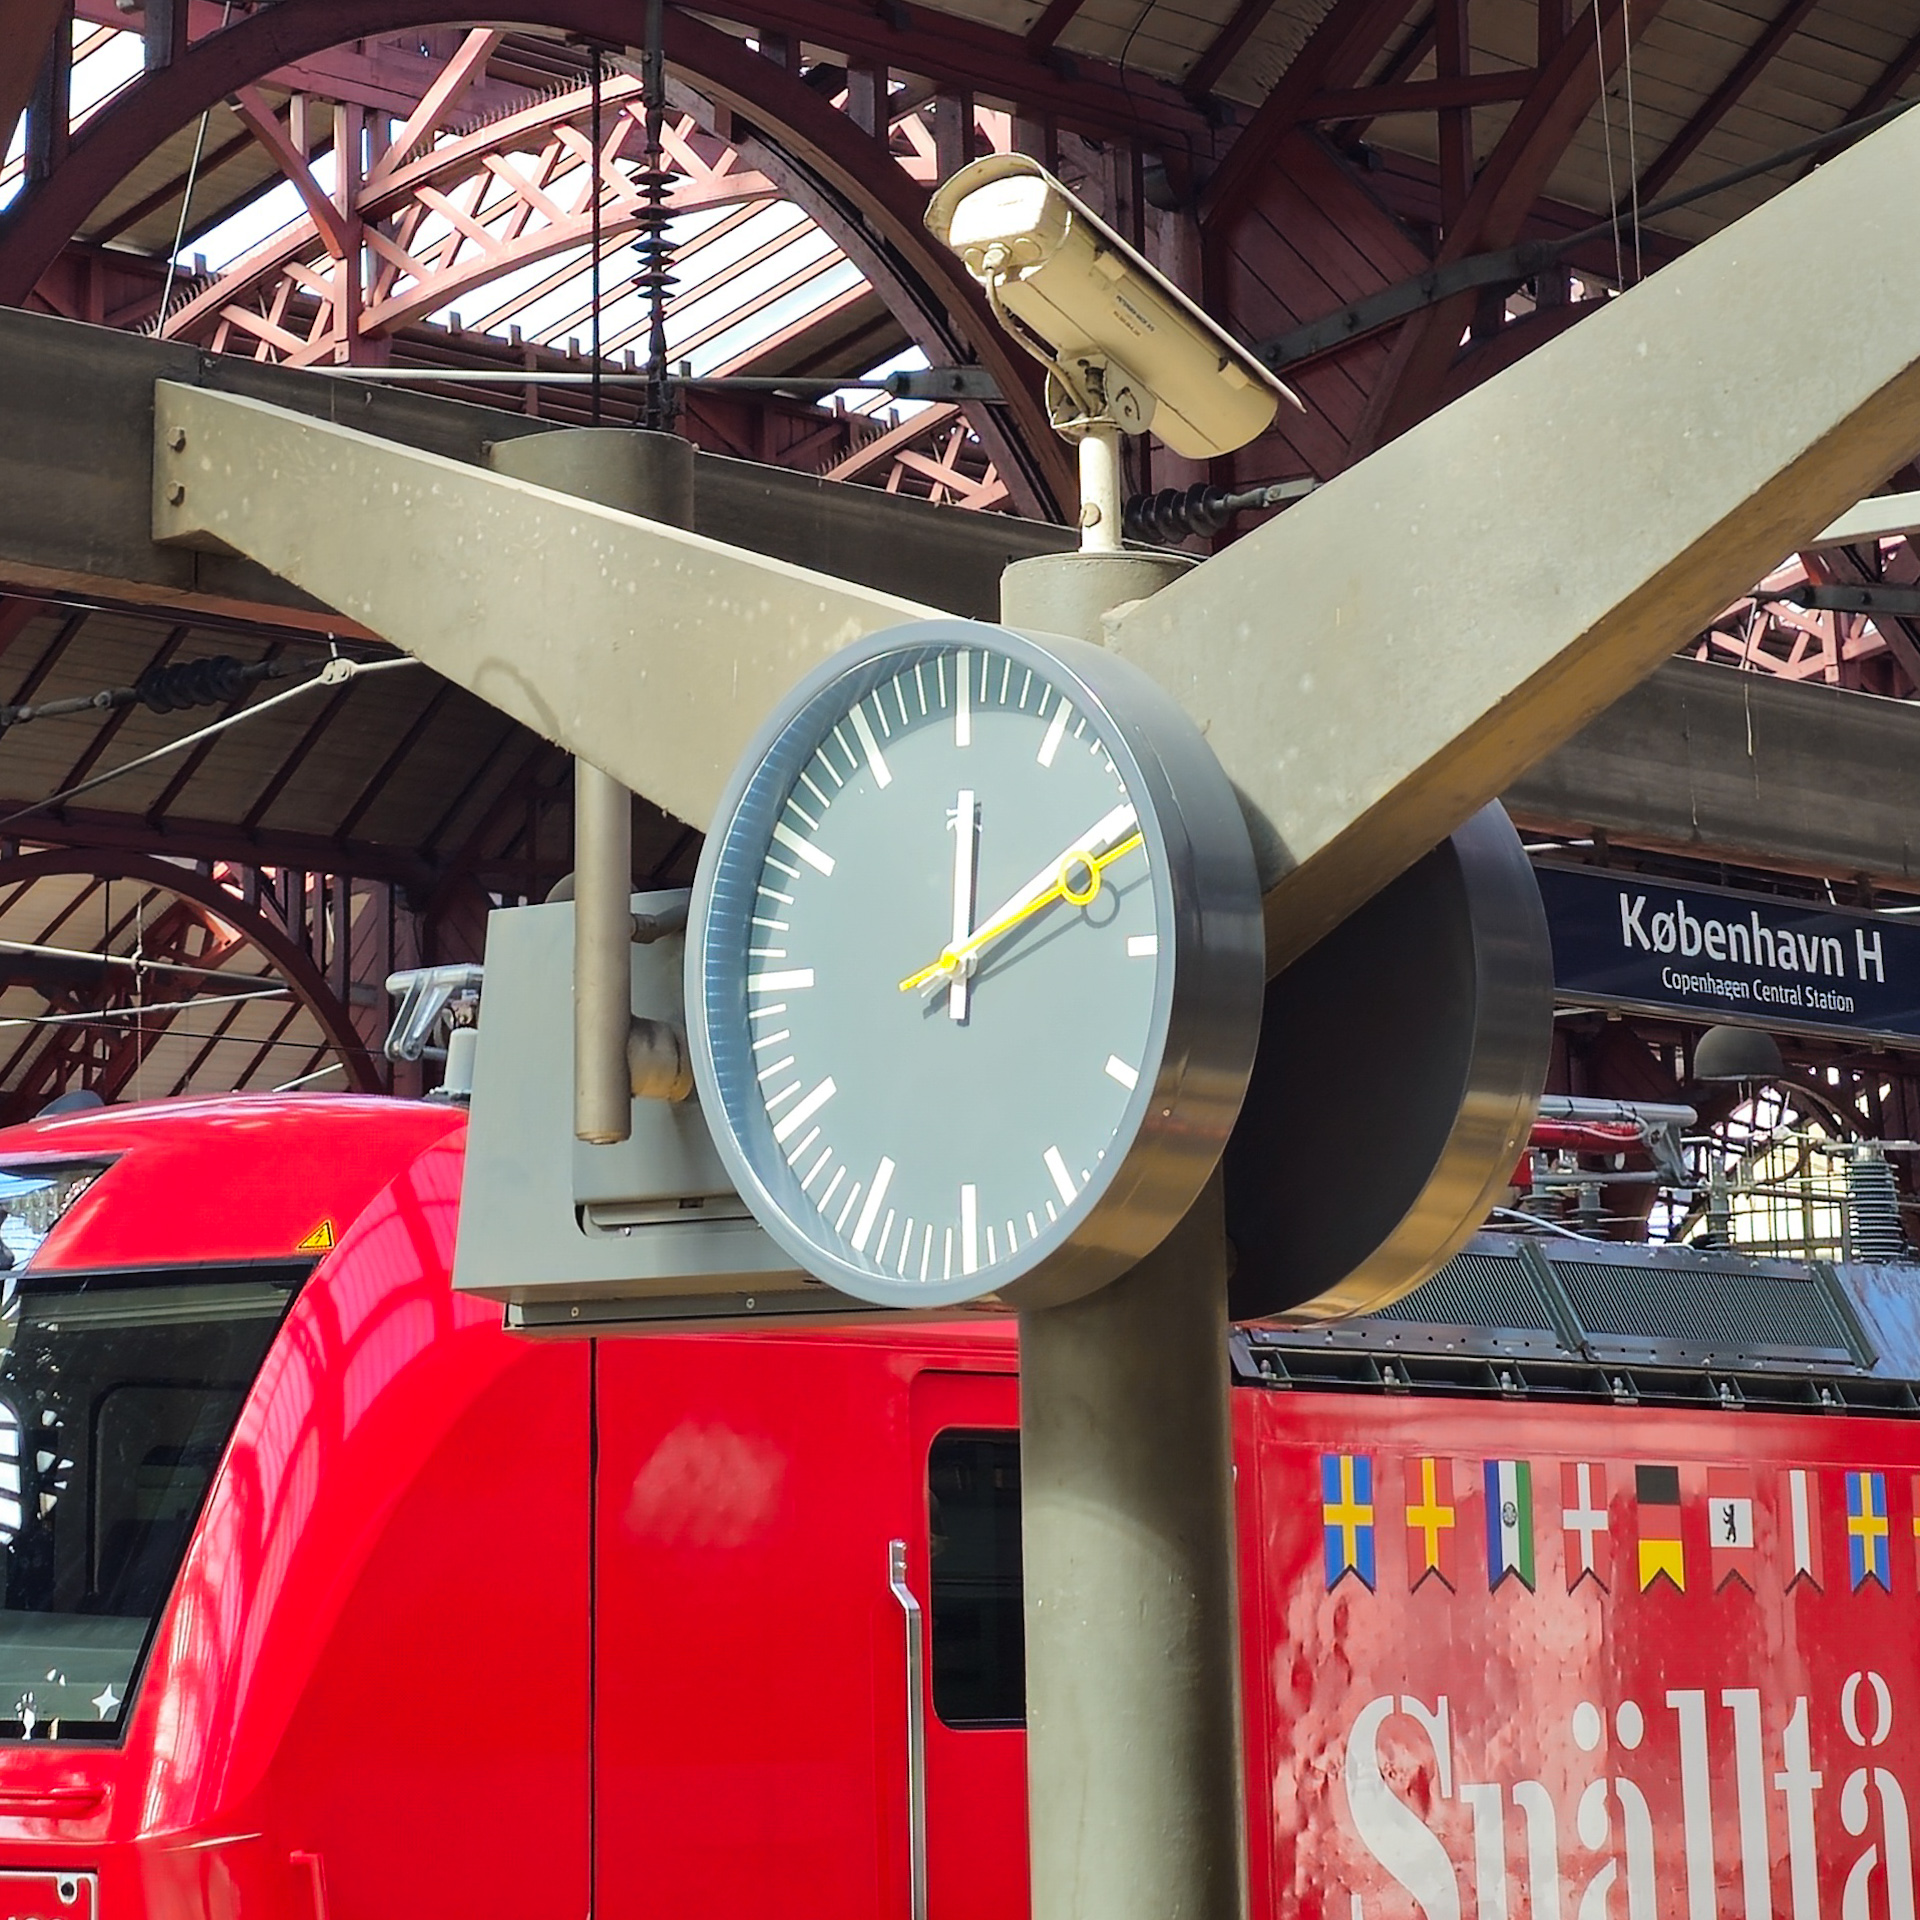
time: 12:10
